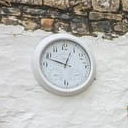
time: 12:48
